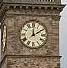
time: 2:00
